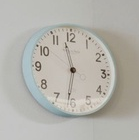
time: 11:31
